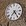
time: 7:24
